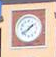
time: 1:38
